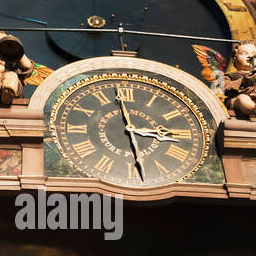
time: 2:58
